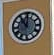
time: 11:01
